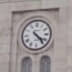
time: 4:23
